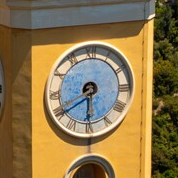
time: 5:40
